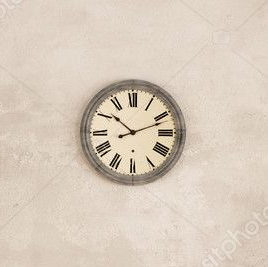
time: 10:11
